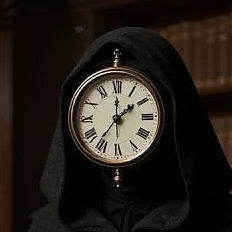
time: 12:09
